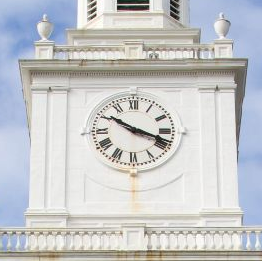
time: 10:18
